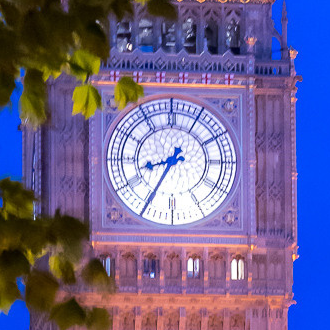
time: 8:34
